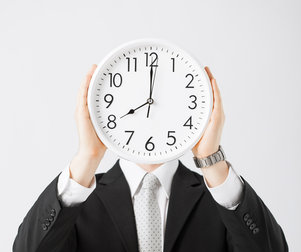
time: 8:00
